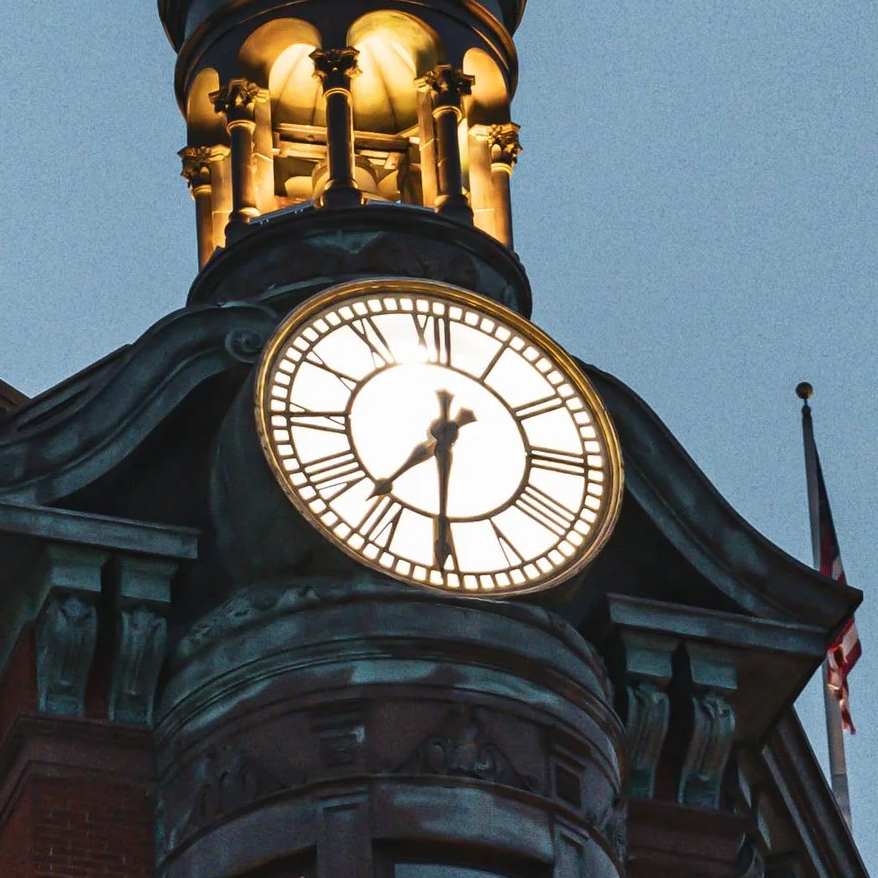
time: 7:30
